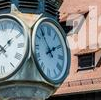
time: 1:53
